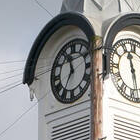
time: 11:34
